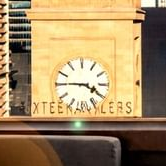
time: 3:45
